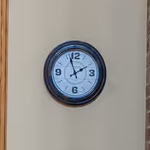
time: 1:56
